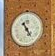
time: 4:54
